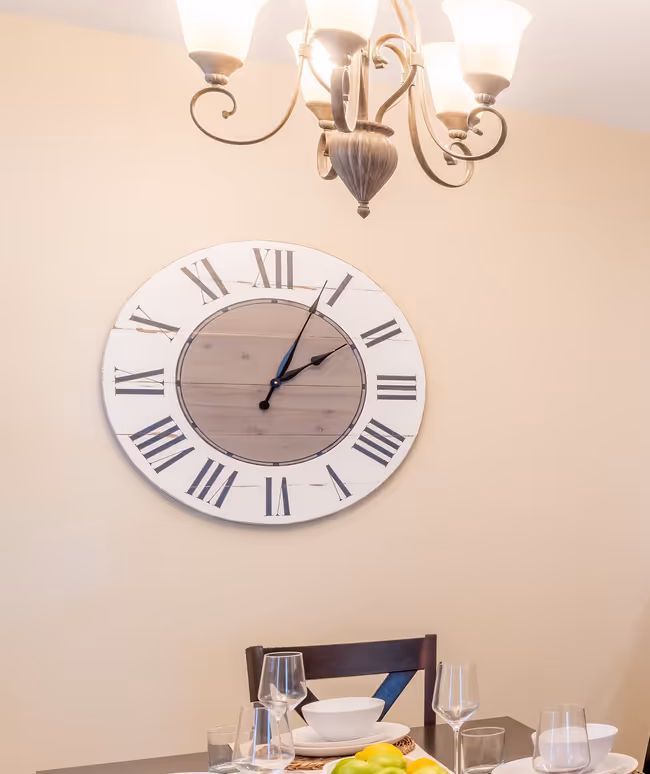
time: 2:04
